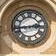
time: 2:43
